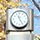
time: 11:25
